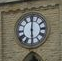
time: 6:00
